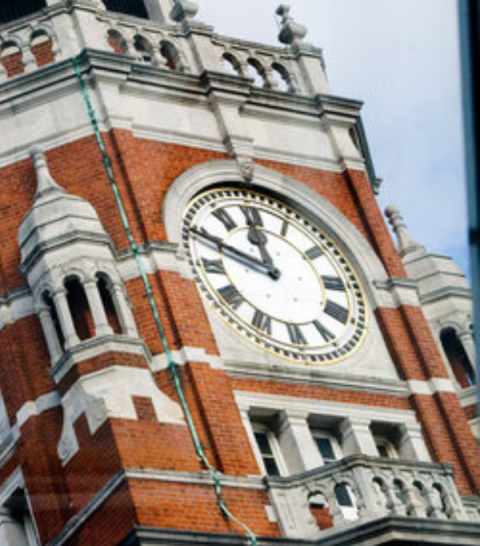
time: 11:48
